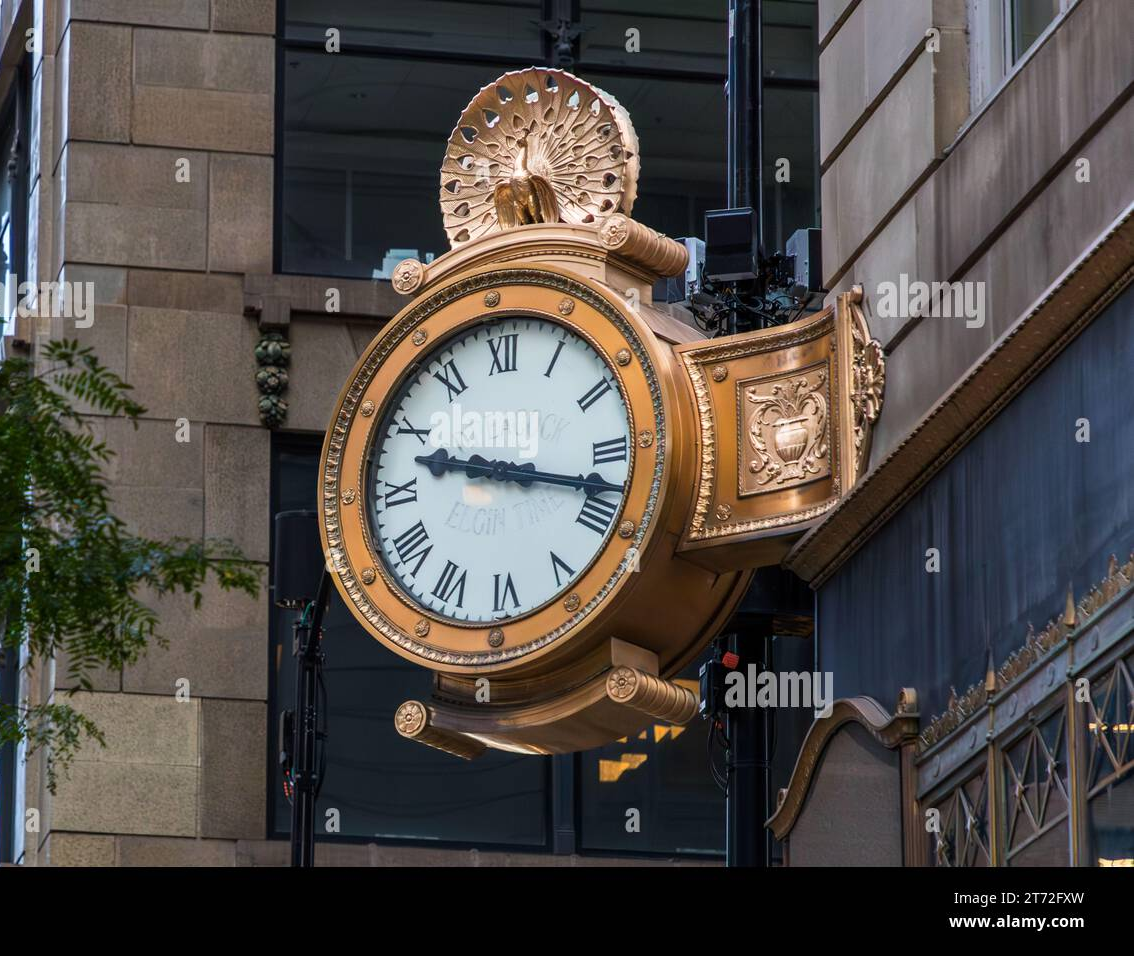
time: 9:17
